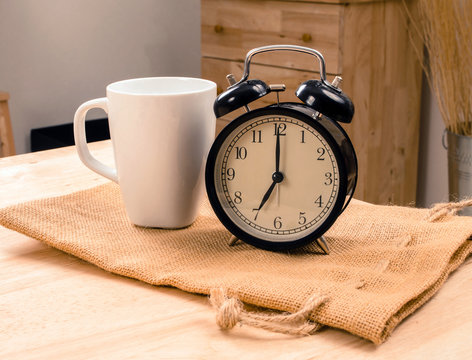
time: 7:00
